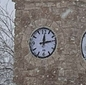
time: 12:13
